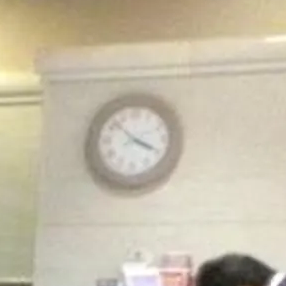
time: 3:52
